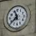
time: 11:38
